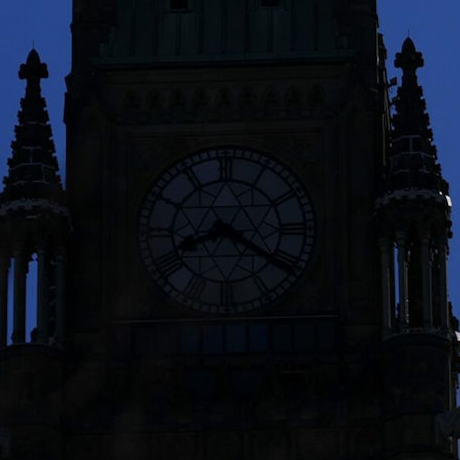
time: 8:20
